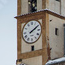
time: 2:09
